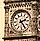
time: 2:24
